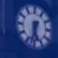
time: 5:32
